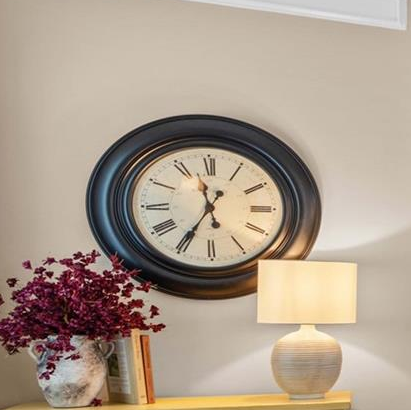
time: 11:35
